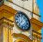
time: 7:06
